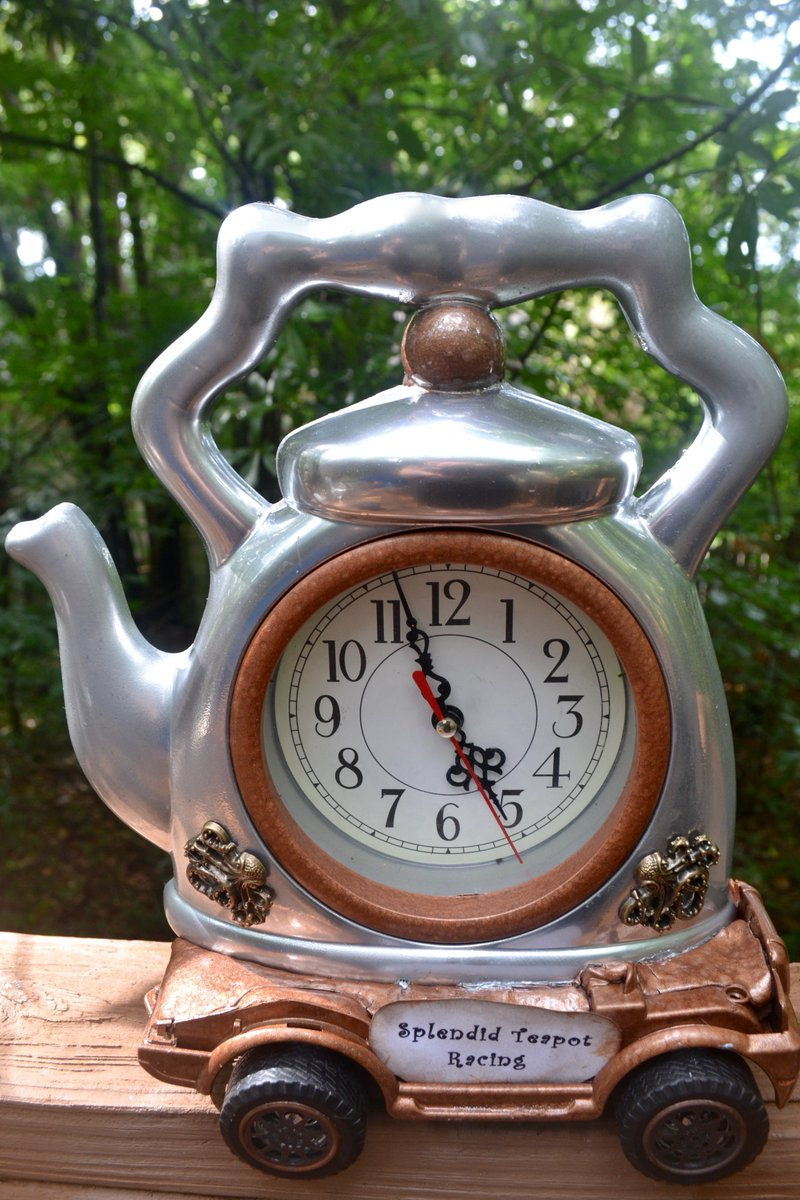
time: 4:57
